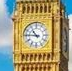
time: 10:45
